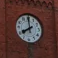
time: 7:59
